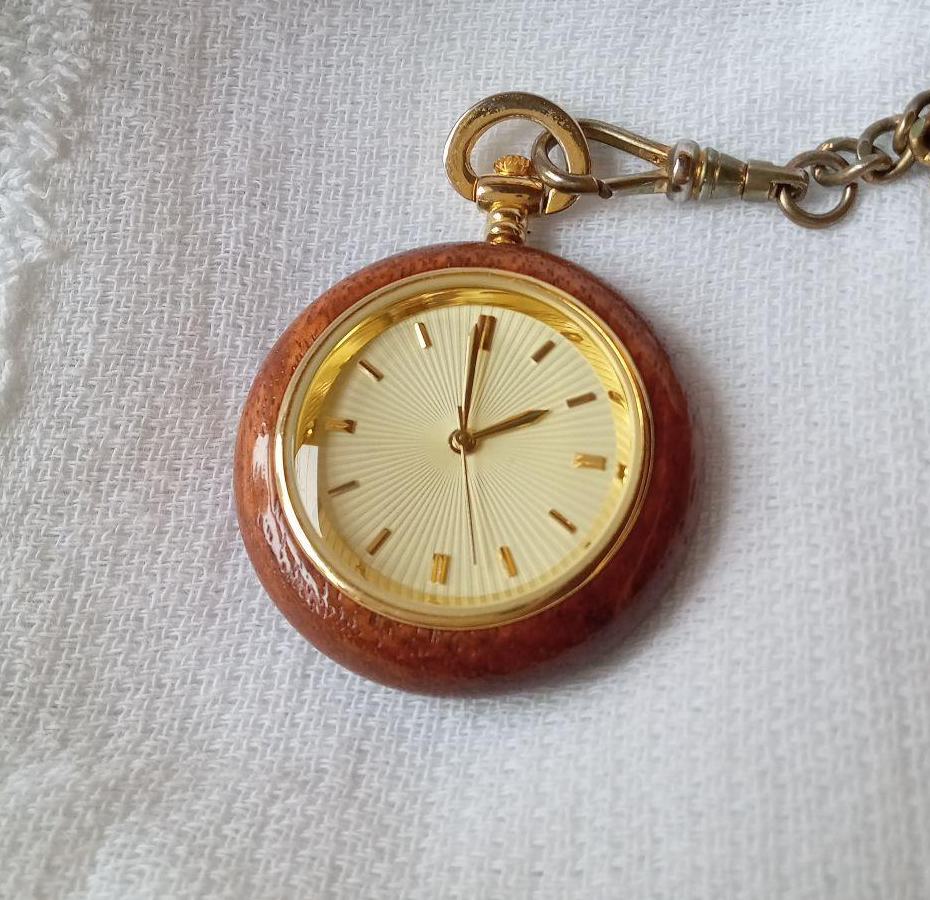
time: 1:59
